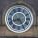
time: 8:24
